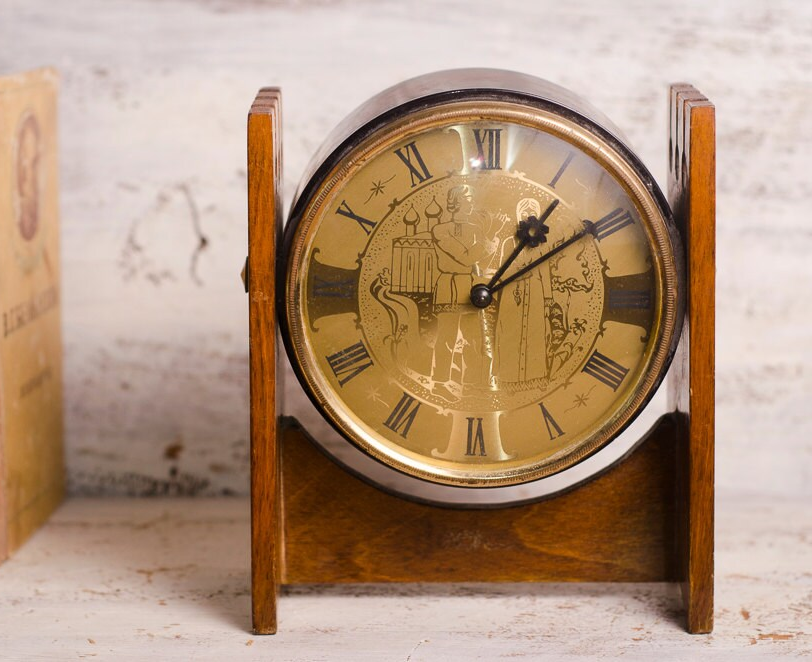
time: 1:09
